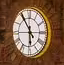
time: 5:54
